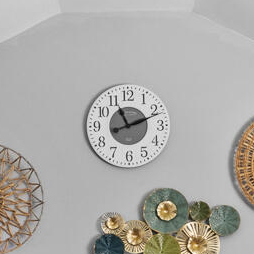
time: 11:11
